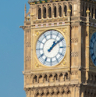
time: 1:09
